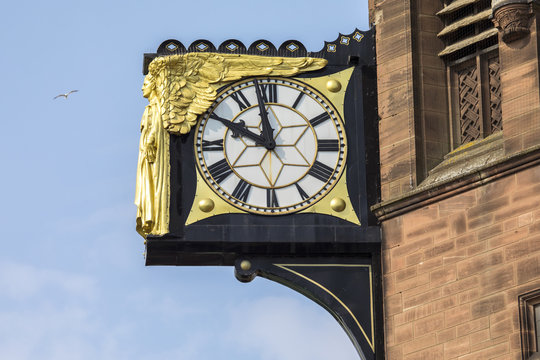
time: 9:58
